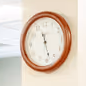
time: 11:28
